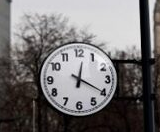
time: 12:19
